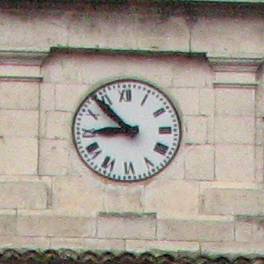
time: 8:53
